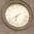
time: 6:38
